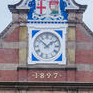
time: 1:51
